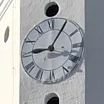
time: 9:05
